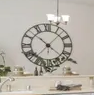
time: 10:22
